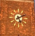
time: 5:11
